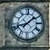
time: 1:42
